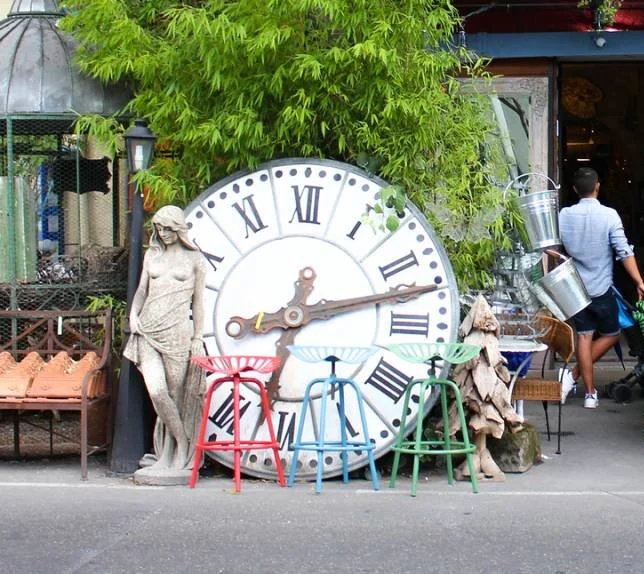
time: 2:32
